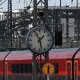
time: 1:28
